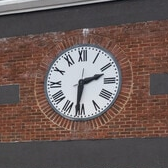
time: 2:31
